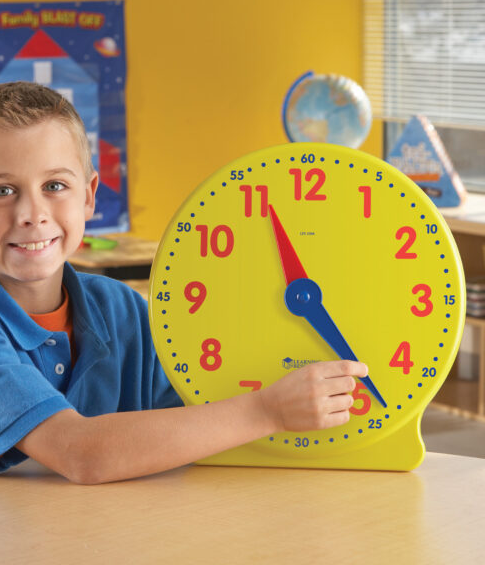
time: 11:23
